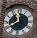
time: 11:40
